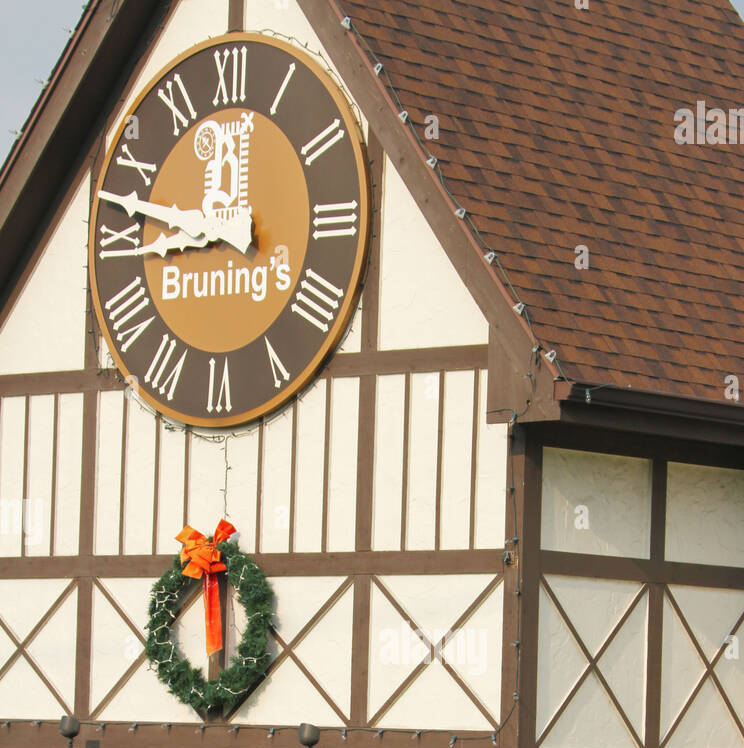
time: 8:47
